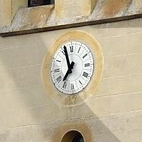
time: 6:56
